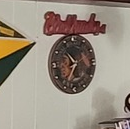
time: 10:34
